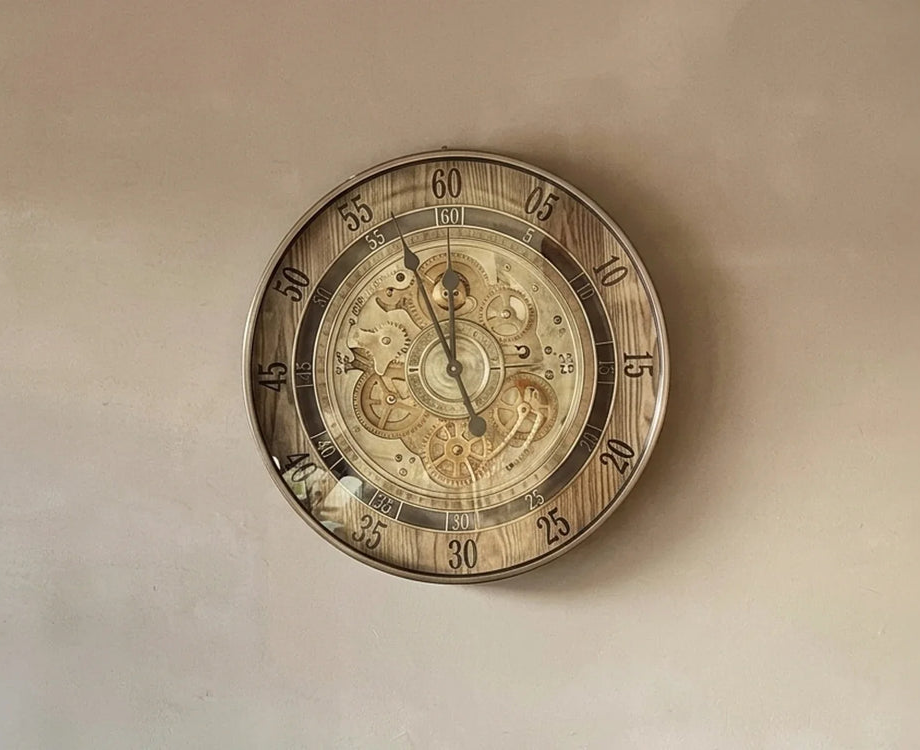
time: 11:56
